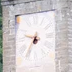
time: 9:36
